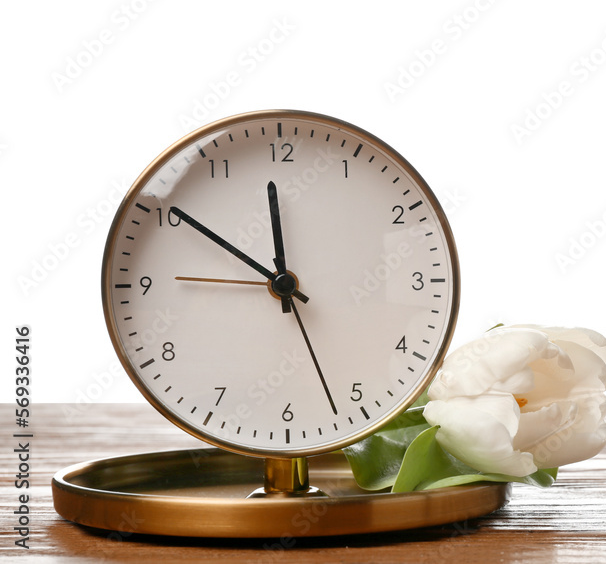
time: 11:50
